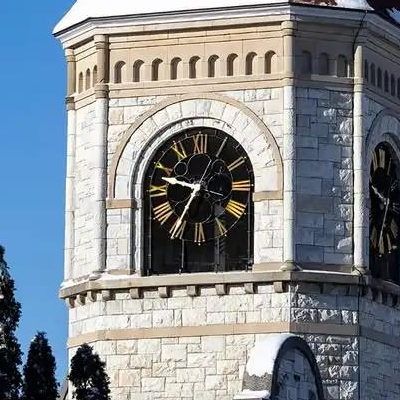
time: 9:35
